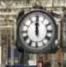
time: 12:00
